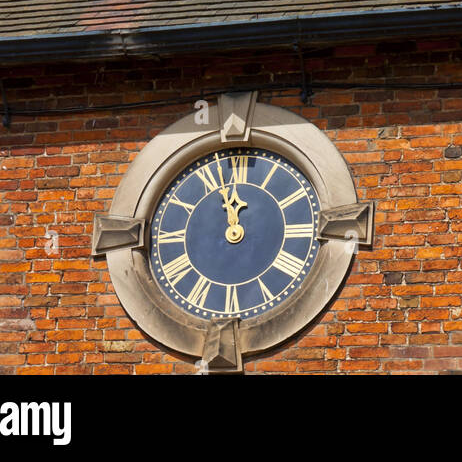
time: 11:56
